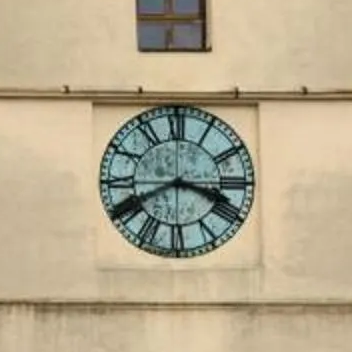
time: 3:40
